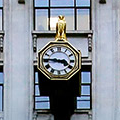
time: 3:45
